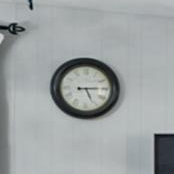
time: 5:14
